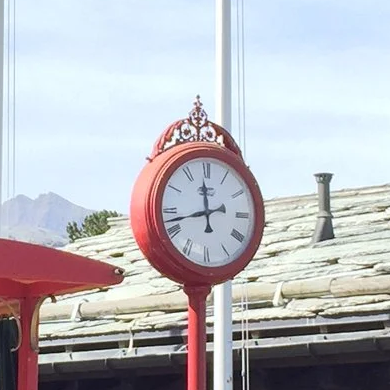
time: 11:42
